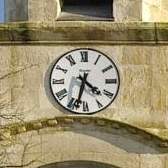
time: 4:32
